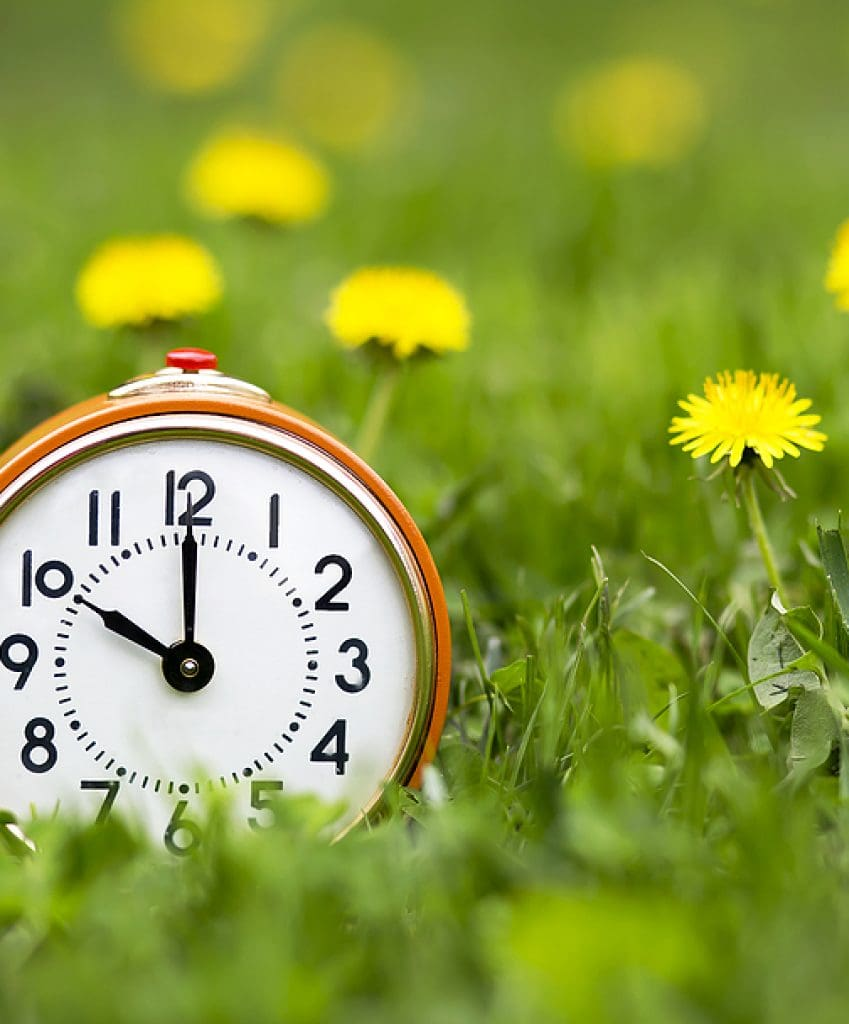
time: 10:00
